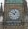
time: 12:52
